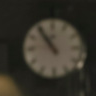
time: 10:54
